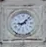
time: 9:07
